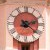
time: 2:21
